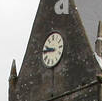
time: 9:45
